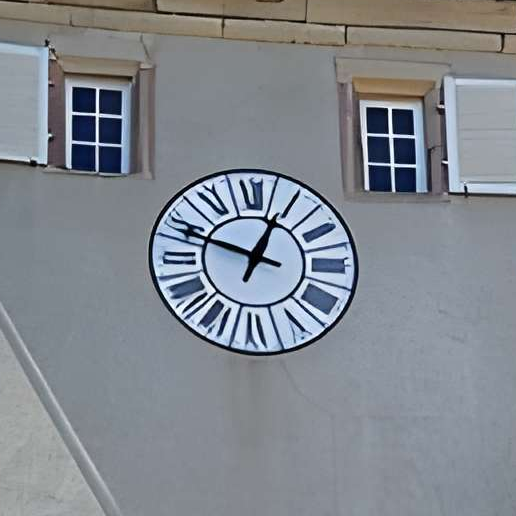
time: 12:48
